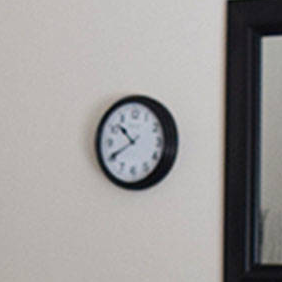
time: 10:40
